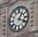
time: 1:18
